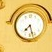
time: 7:27
